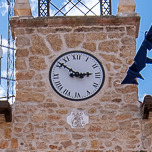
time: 2:51
